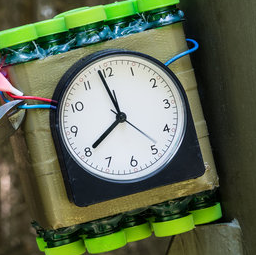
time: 7:58
